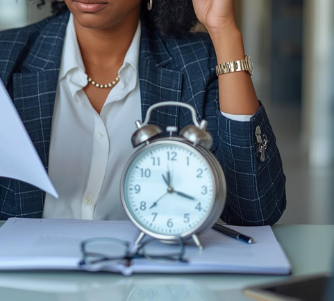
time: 11:18
